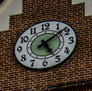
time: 5:08
